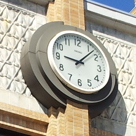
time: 9:07
